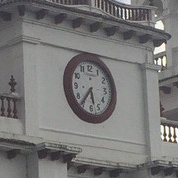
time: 5:36
